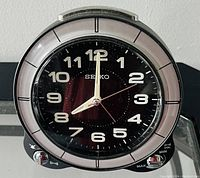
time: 8:00
